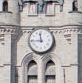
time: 11:44
